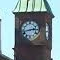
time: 2:42
